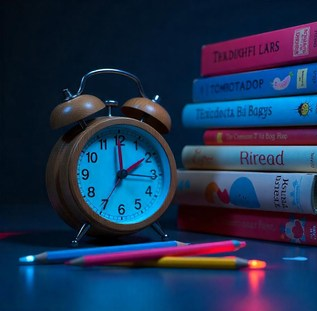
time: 1:59
